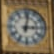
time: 3:02
